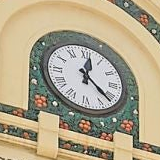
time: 12:21
